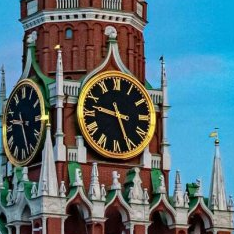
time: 9:26
